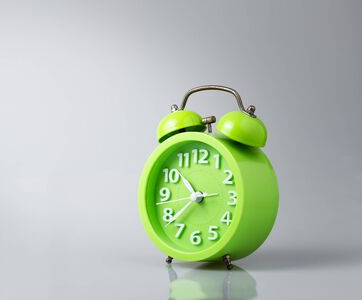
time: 10:38
